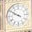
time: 9:50
